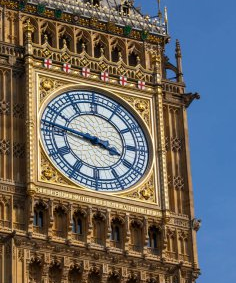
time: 3:46
